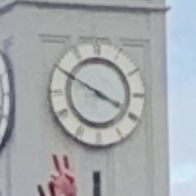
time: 3:50
